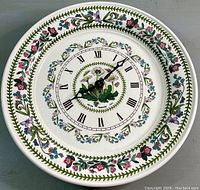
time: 8:07
